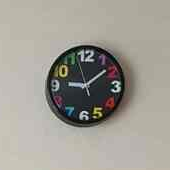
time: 9:08
